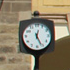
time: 12:26
